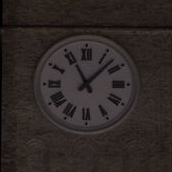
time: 11:07
